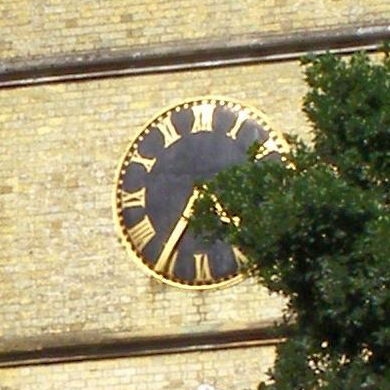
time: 4:35
